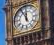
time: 11:55
